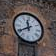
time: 11:39
